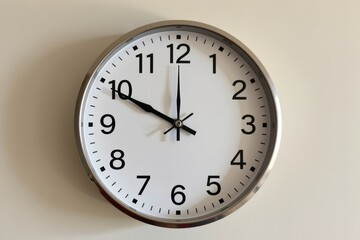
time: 11:49
